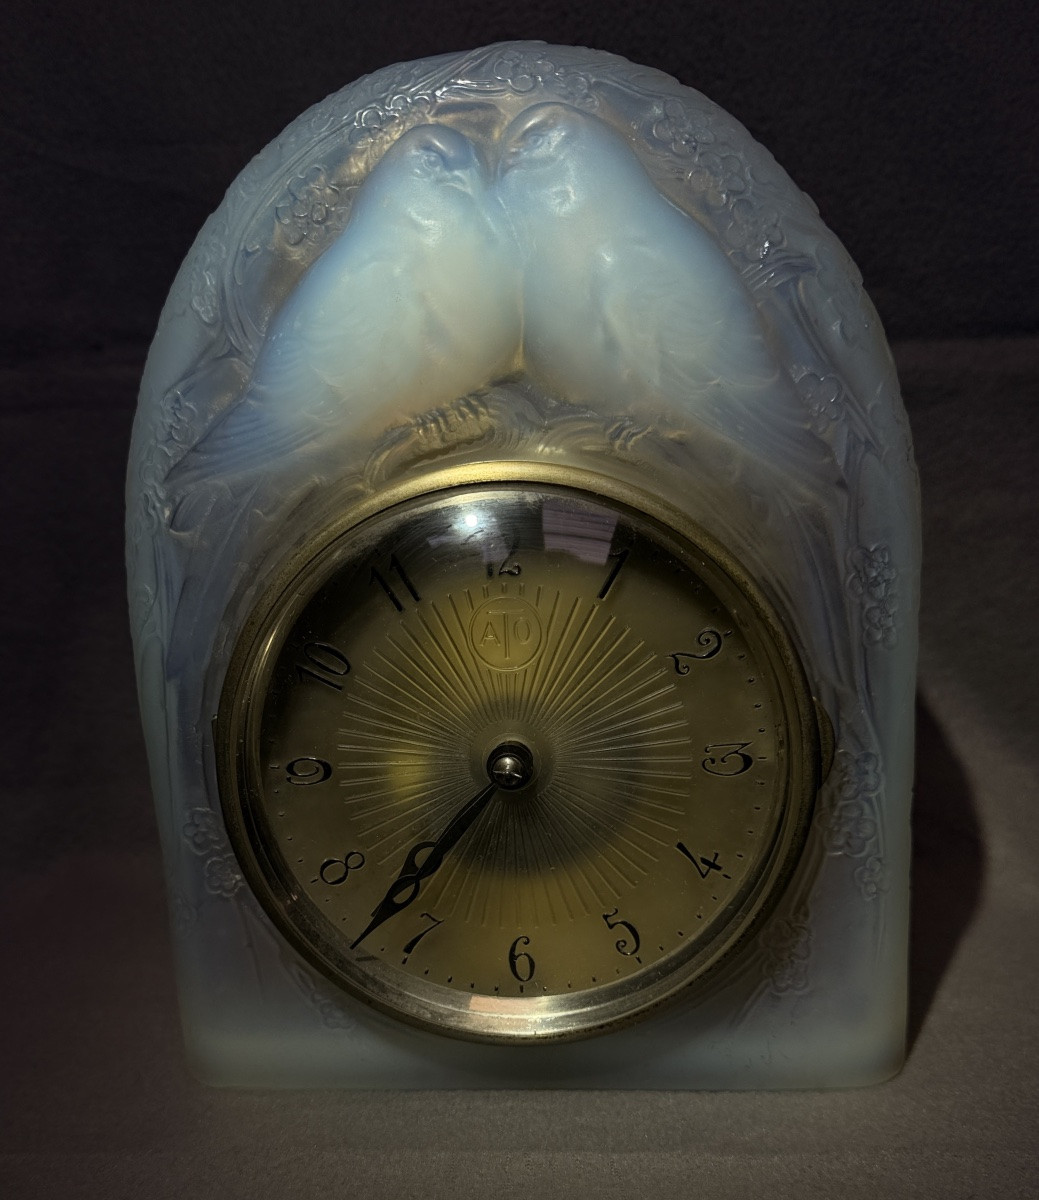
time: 7:37
